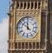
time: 11:51
